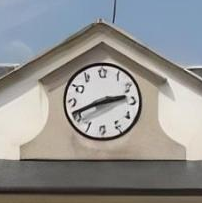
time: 2:41
